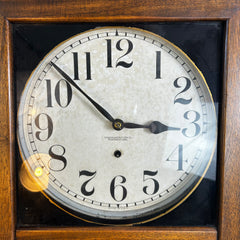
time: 2:52
